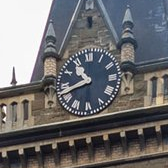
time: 10:42
